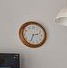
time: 2:33
